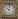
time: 10:00
